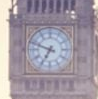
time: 6:48
